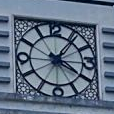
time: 1:20
